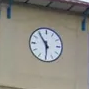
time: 5:54
